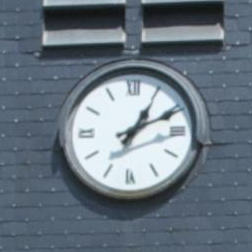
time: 1:10
